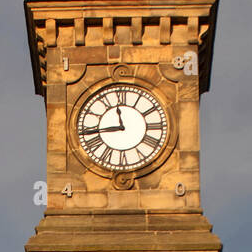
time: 11:43
